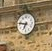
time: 6:47
